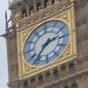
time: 2:36
